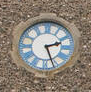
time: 2:26
